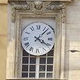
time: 4:07
